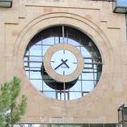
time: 4:37
